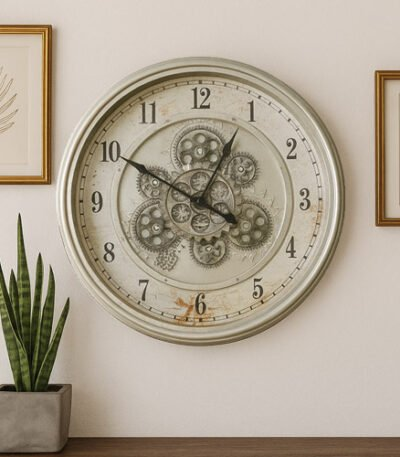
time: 12:49
